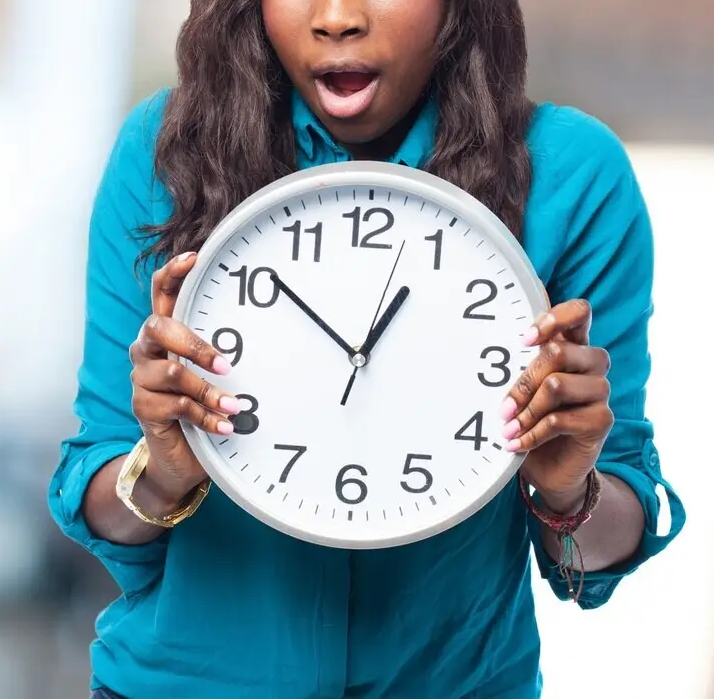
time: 12:51
